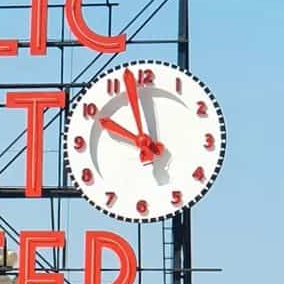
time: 9:57
